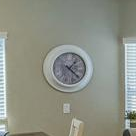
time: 1:21
